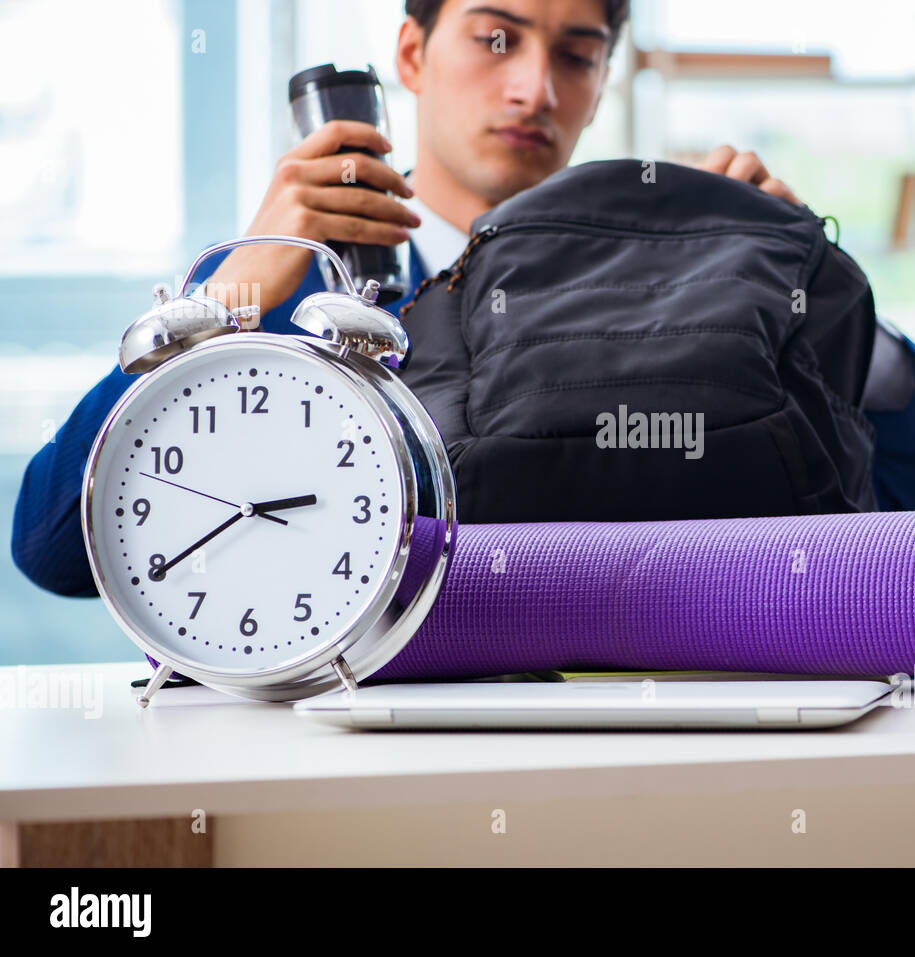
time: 2:39
